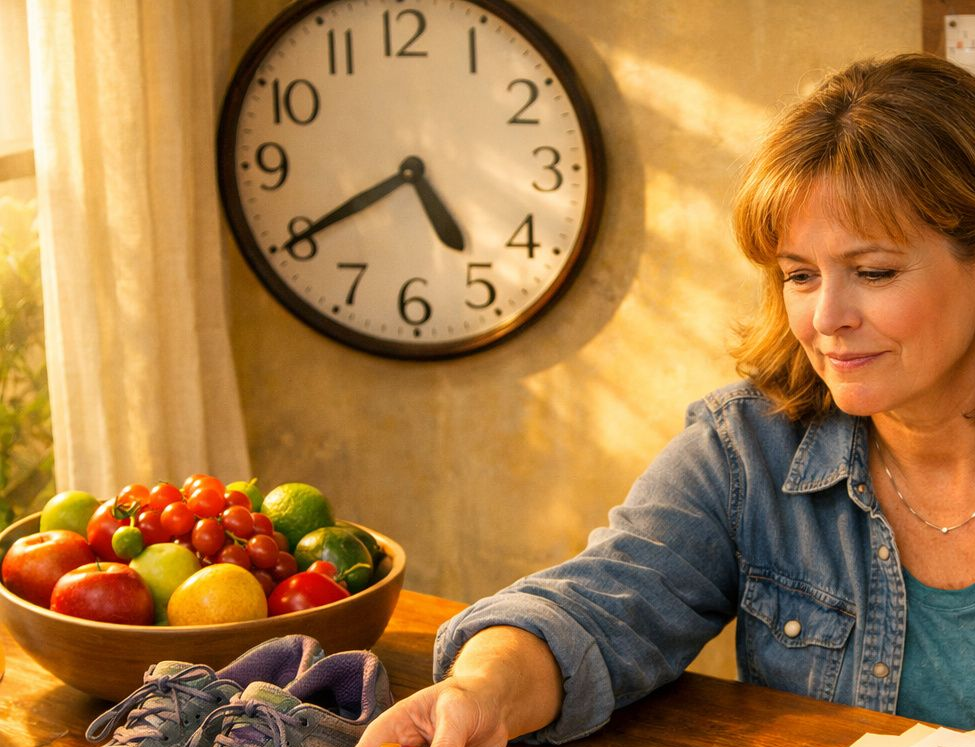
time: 4:40
